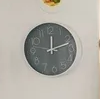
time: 12:12
